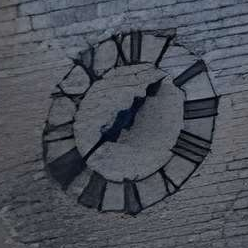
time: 1:37
